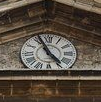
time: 4:56
